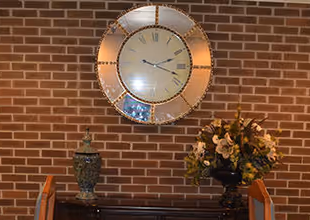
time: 2:18
